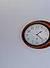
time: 1:23
